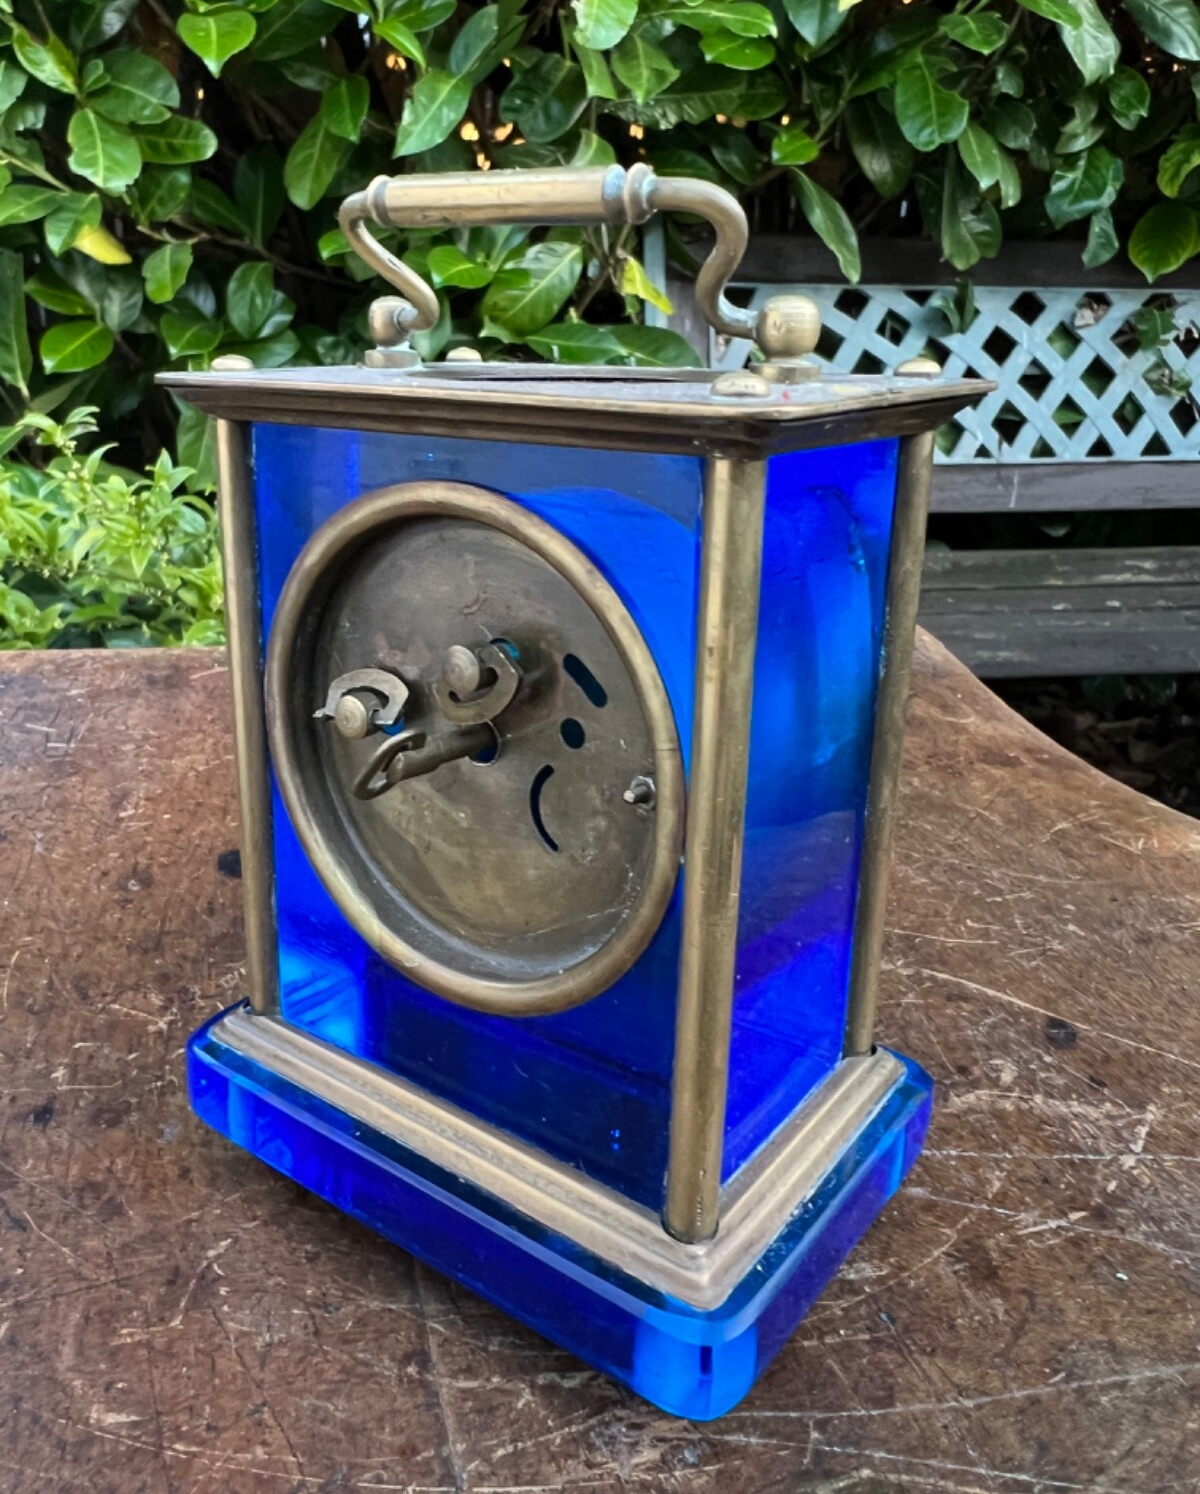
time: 1:41
